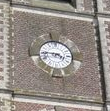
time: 3:44
